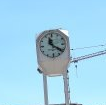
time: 11:21
